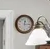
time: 12:14
